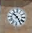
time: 10:24
